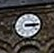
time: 3:14
